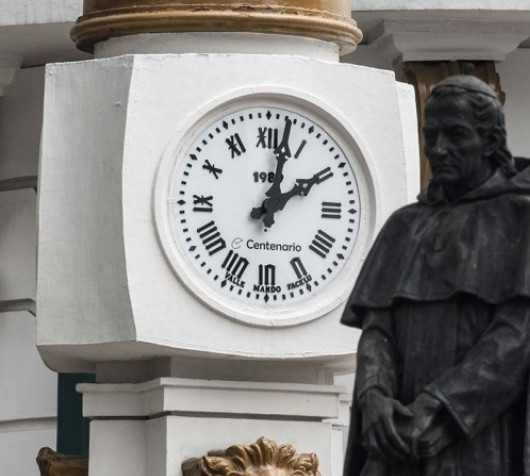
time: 2:02
